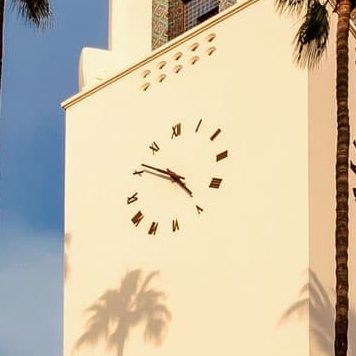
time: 4:51
